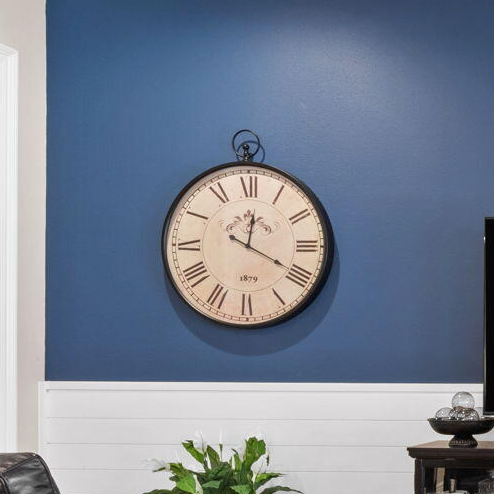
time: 12:19
